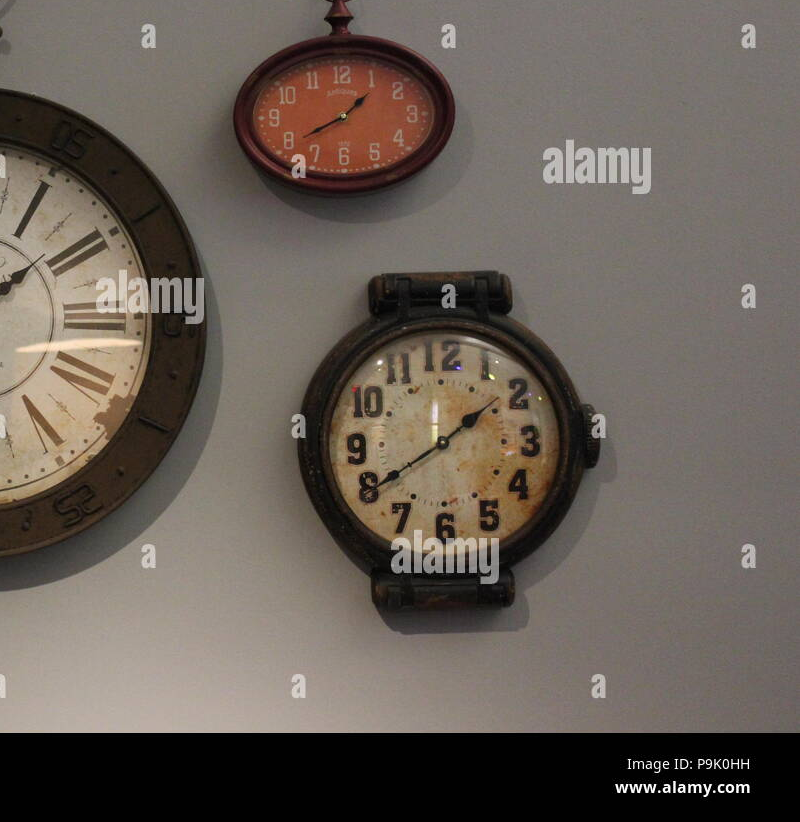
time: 1:39
